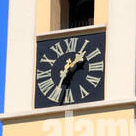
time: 1:33
